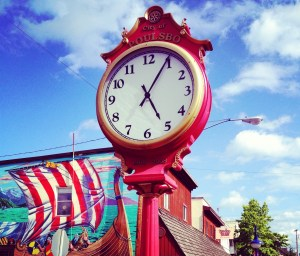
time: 5:04
